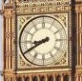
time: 8:40
